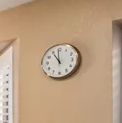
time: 10:59
